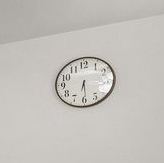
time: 6:29
